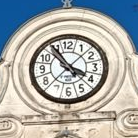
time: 3:54
